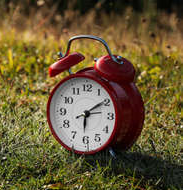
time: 6:09
